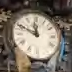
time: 11:49
